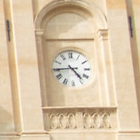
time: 4:44
